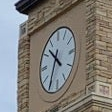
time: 10:34
